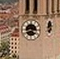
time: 3:40
